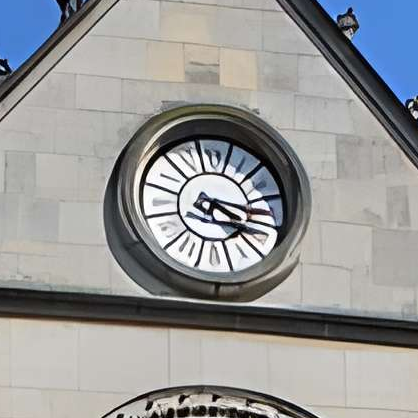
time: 4:16
